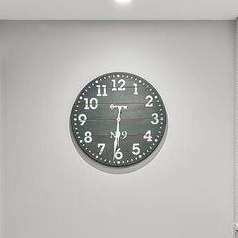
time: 6:31
